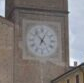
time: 12:53
